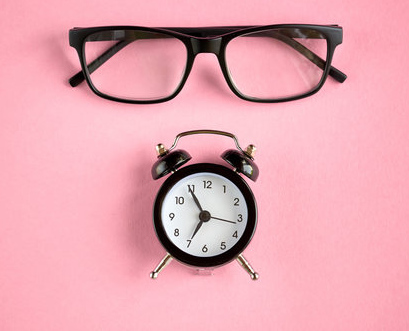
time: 6:54
